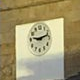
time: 9:12
